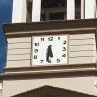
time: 5:31
